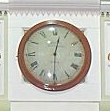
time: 12:30
